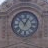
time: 12:53
